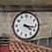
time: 4:16
